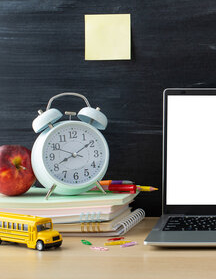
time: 8:09
